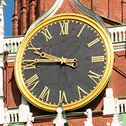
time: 9:45
